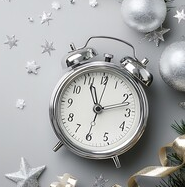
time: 11:12
